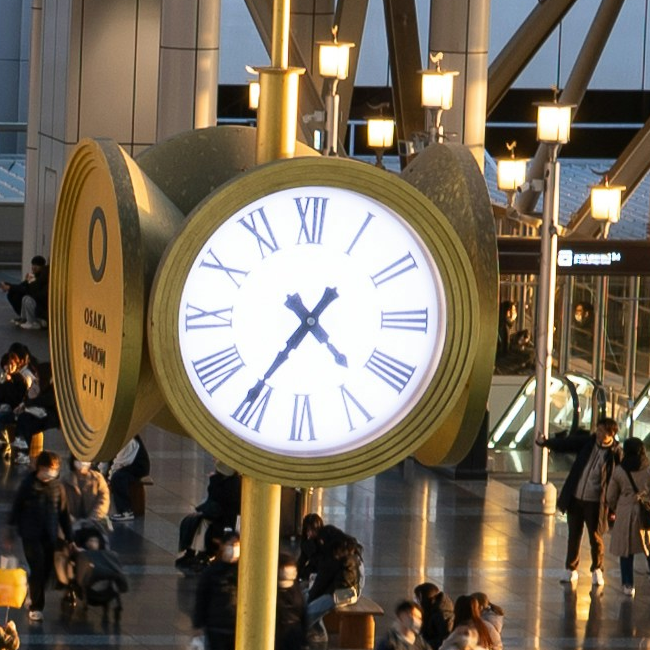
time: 4:35
